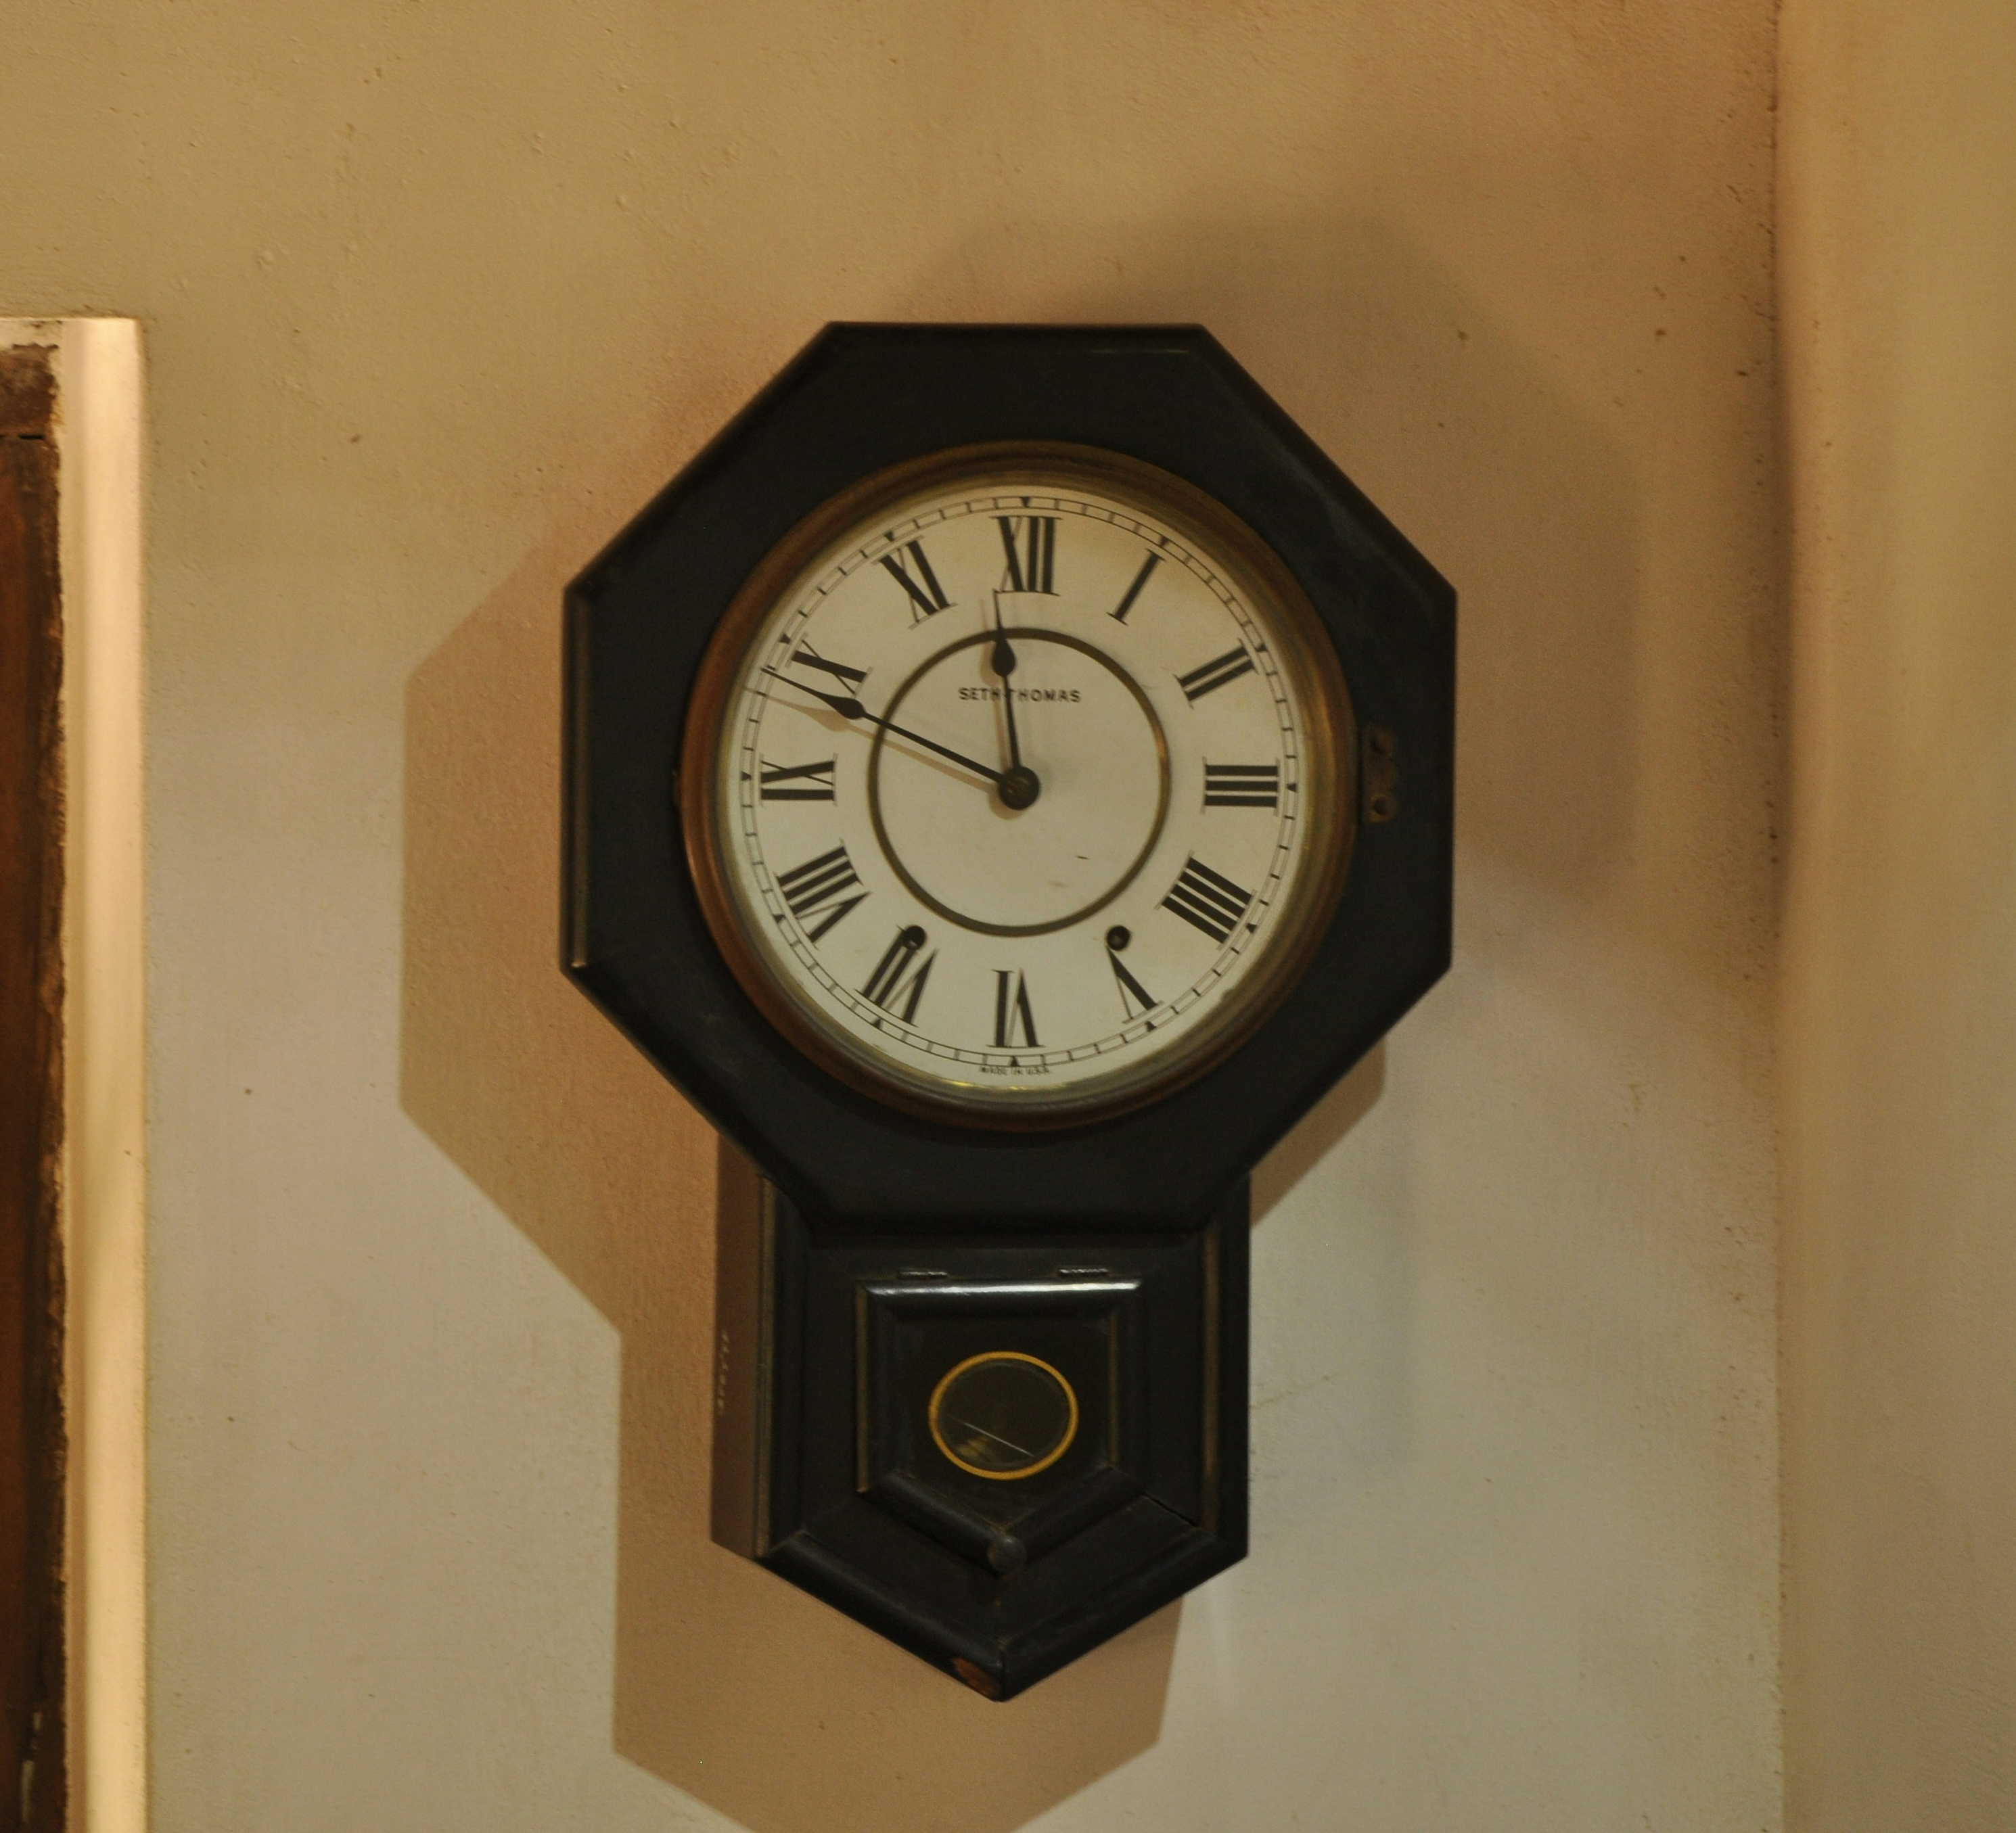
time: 11:48
